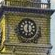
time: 12:28
